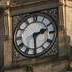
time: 2:29
